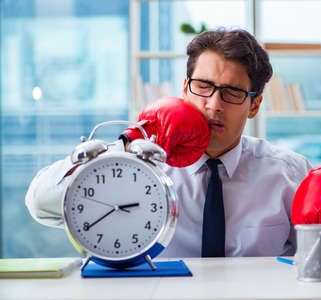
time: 2:39
